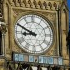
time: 8:49
